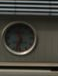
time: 11:33
